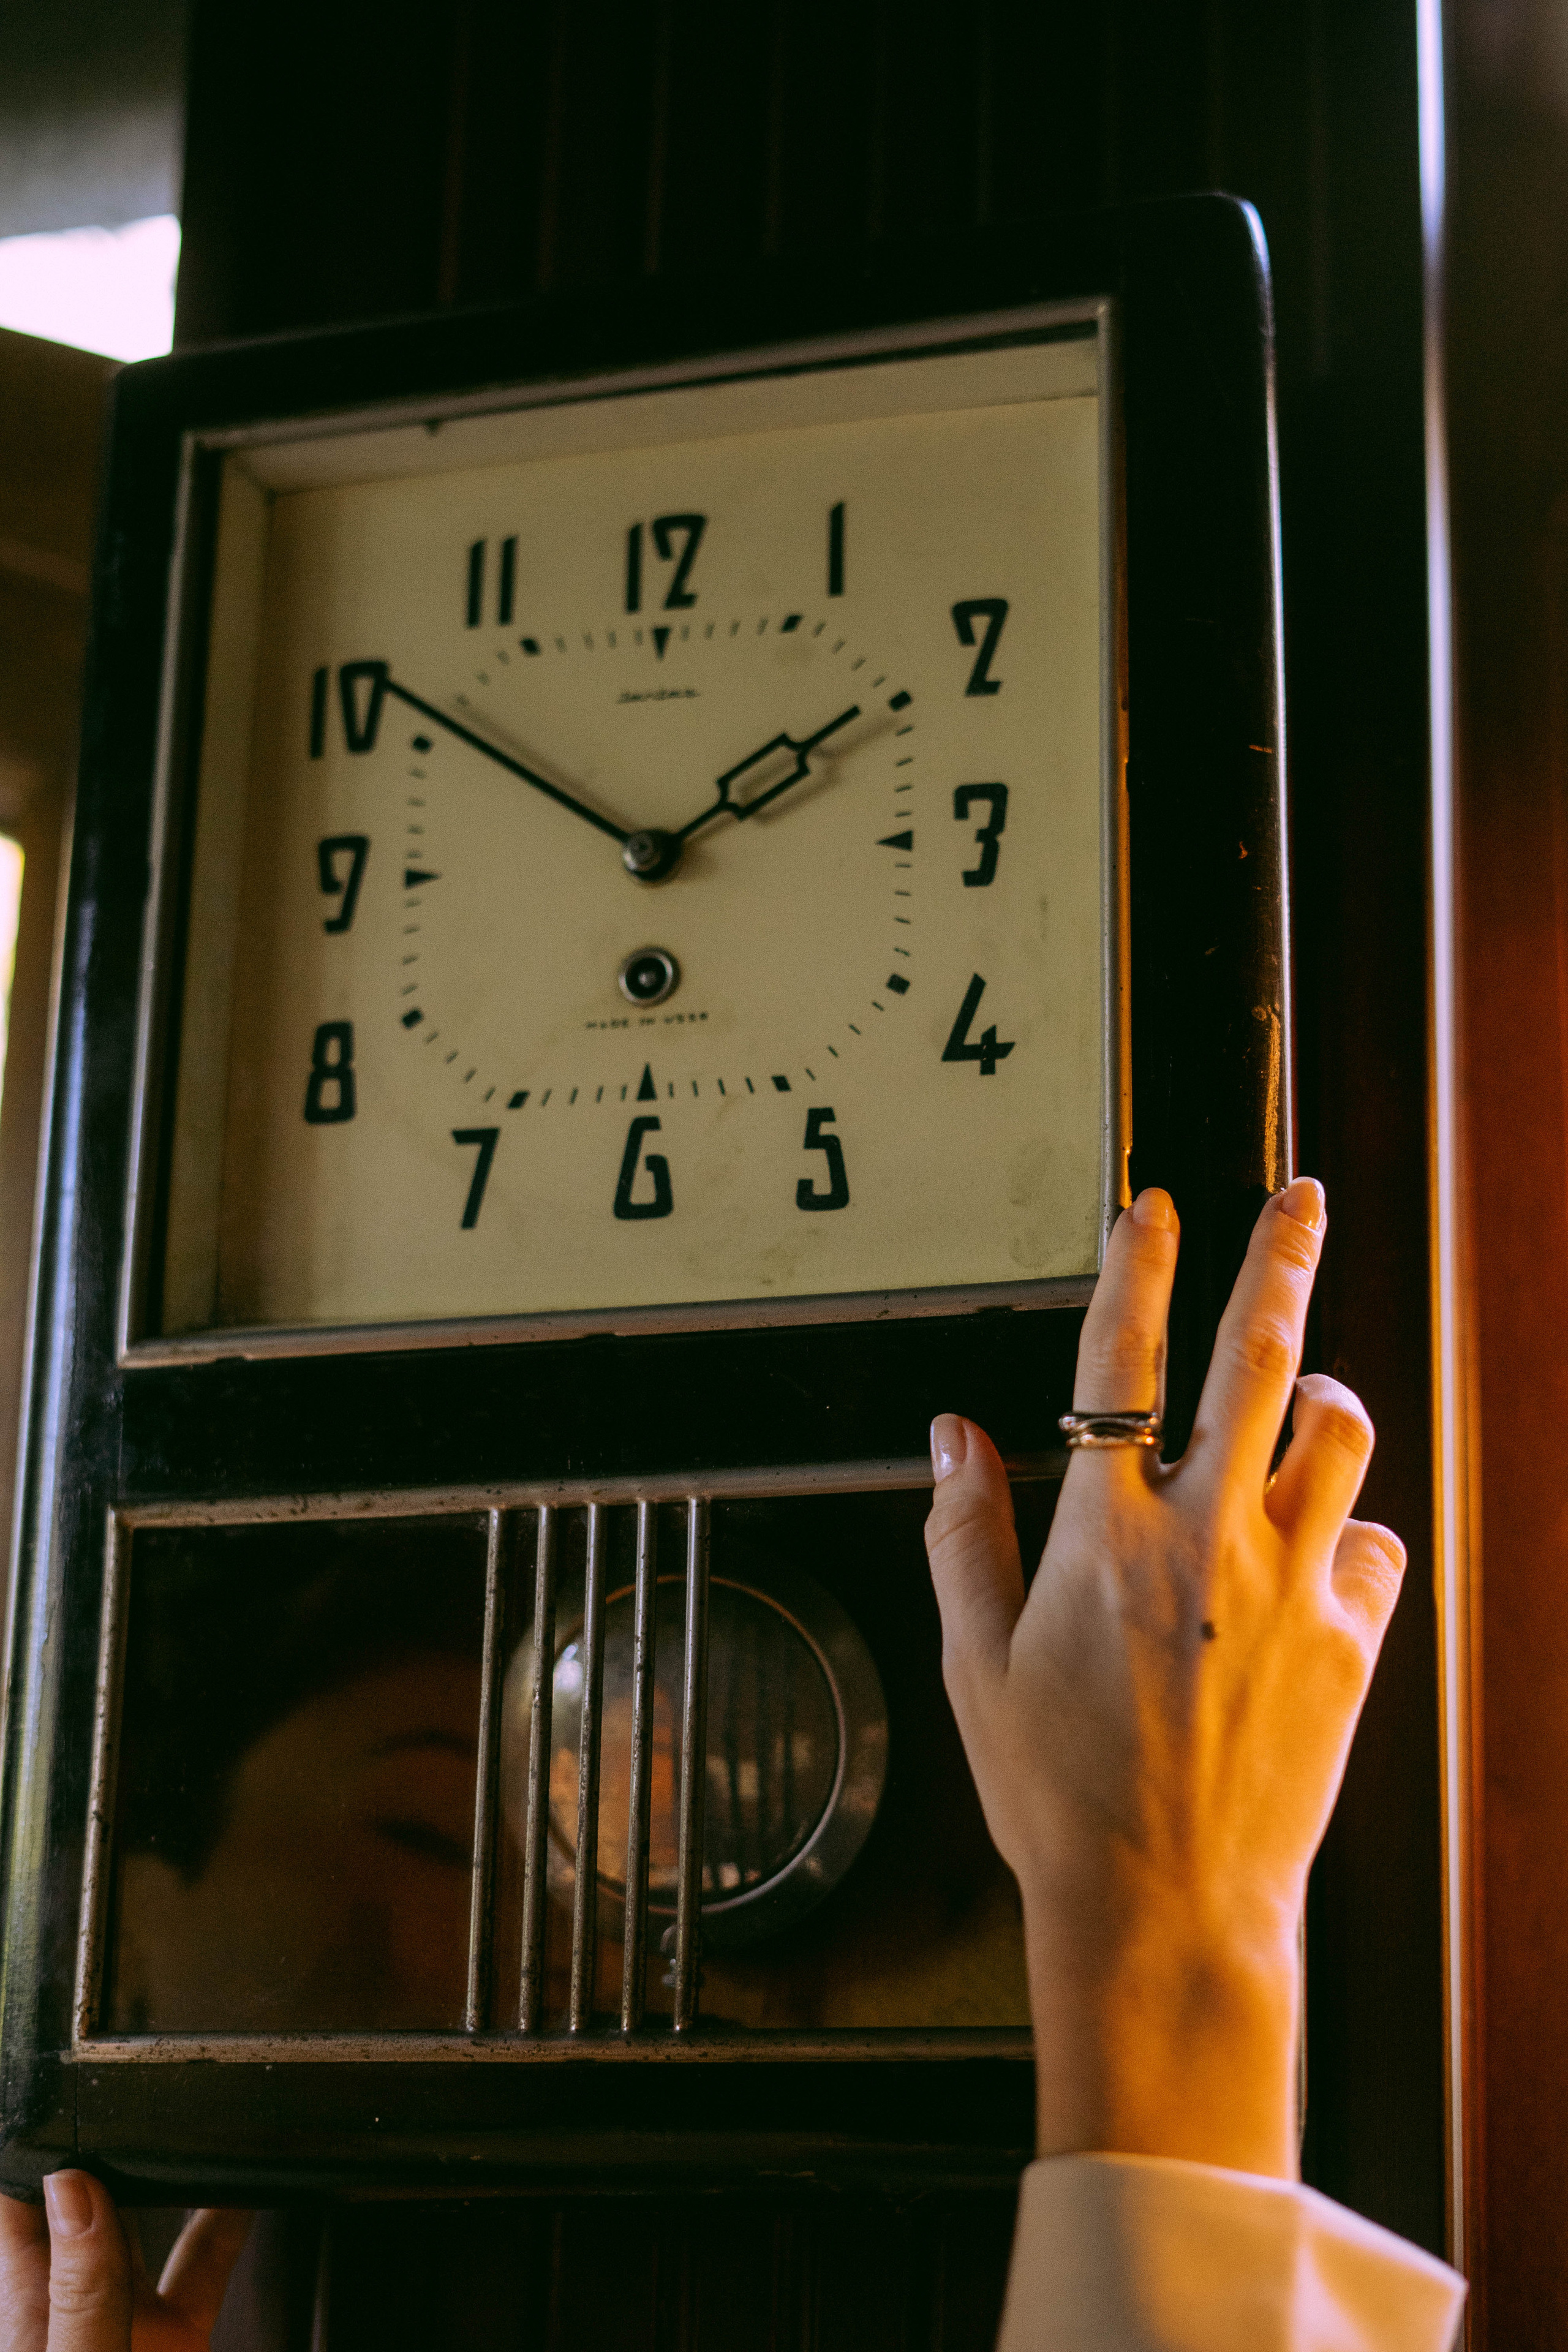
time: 1:50
